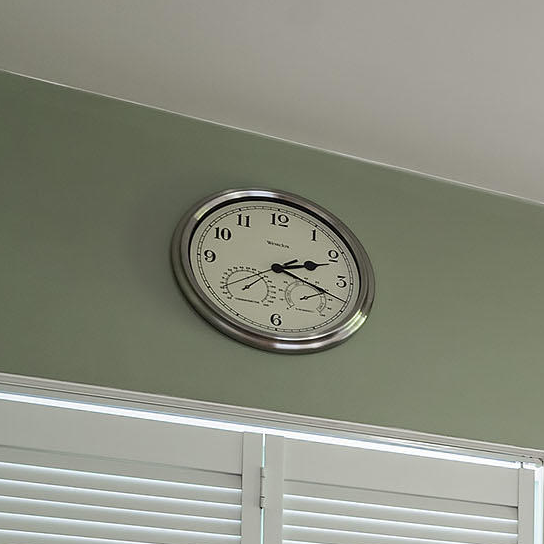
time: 2:18
